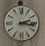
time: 2:16
